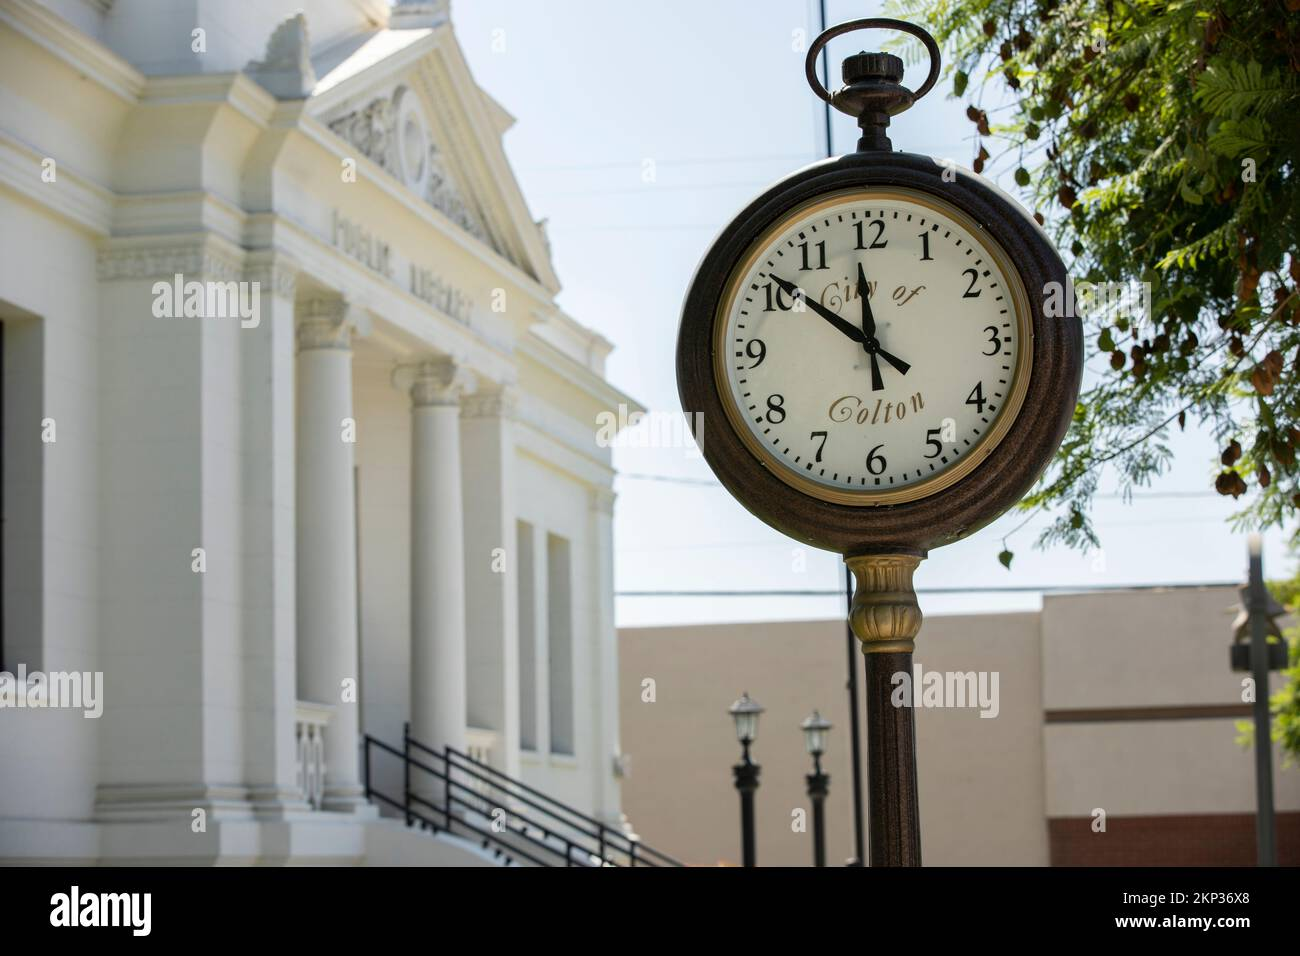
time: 11:51
